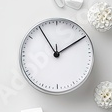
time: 1:54
